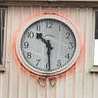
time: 10:29
